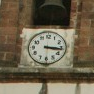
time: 3:16
